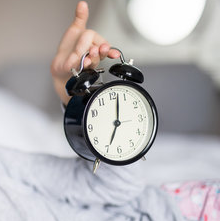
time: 7:02
